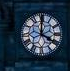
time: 4:00
